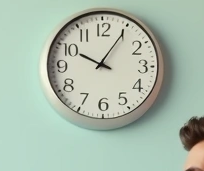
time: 10:05
